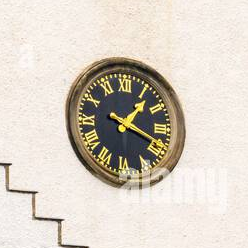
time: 1:18
